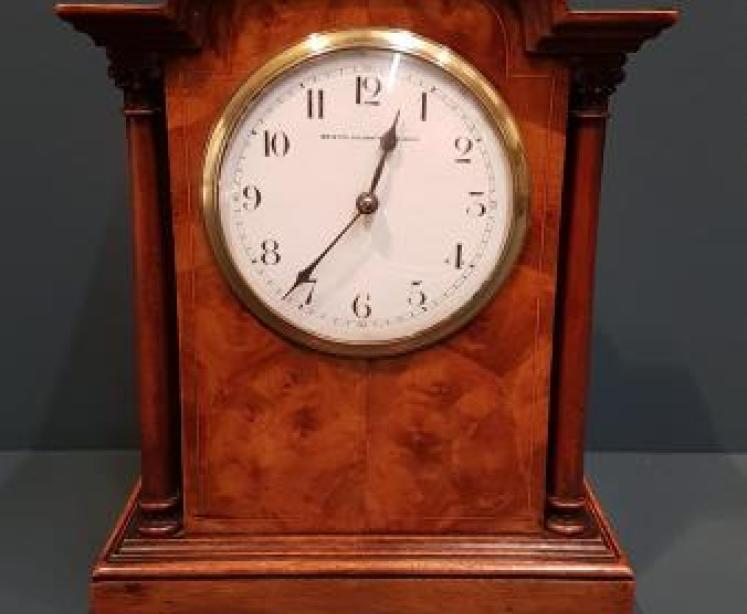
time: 12:36
